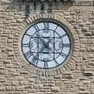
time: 10:36
